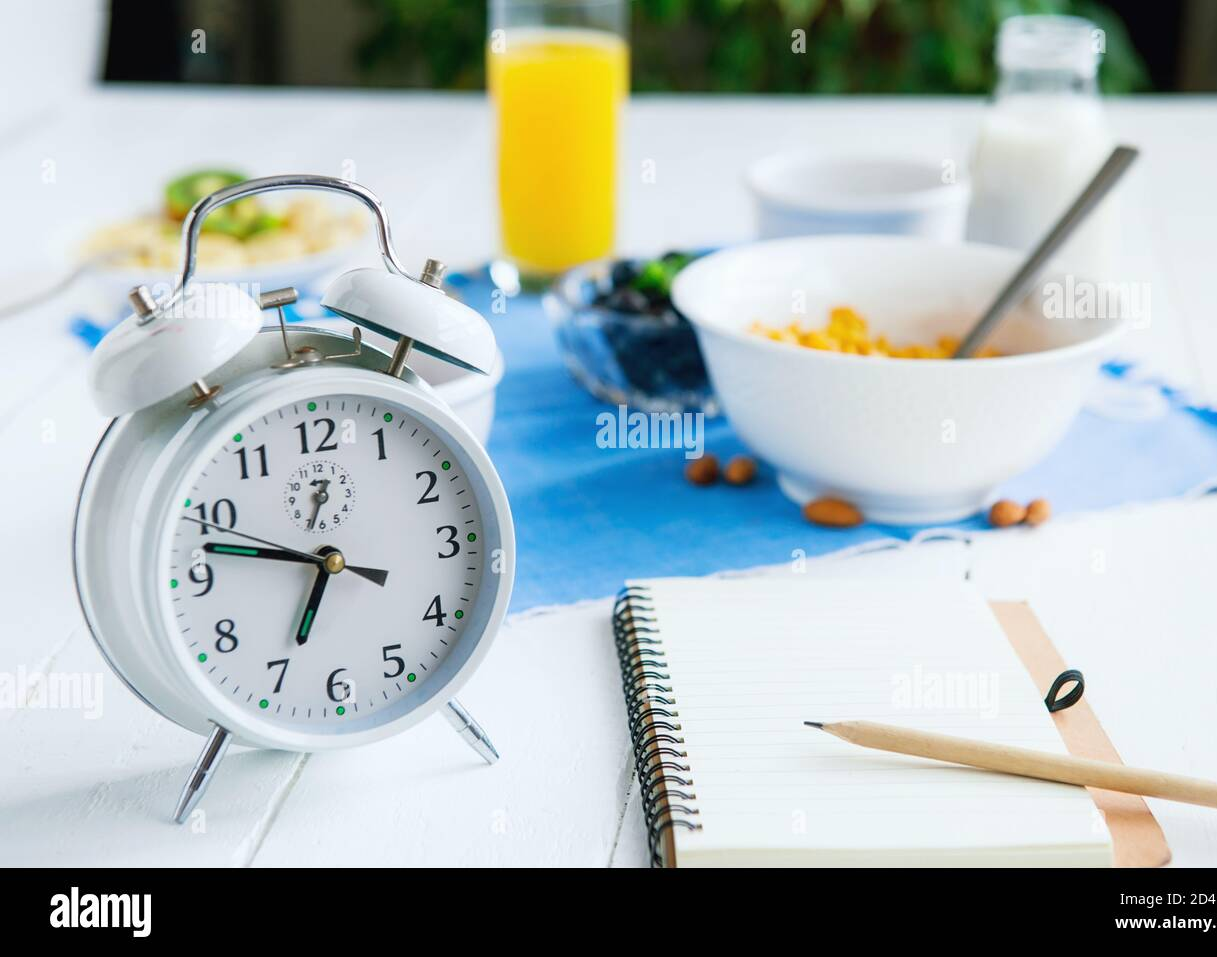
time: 6:47
